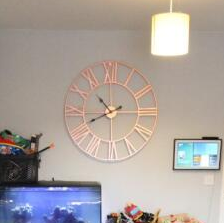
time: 10:41
